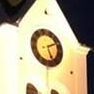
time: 5:11
